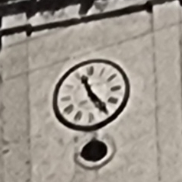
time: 11:24
